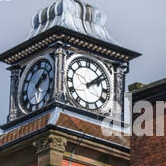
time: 2:08
